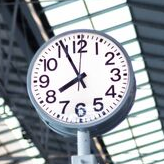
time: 7:55
